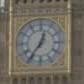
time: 12:36
